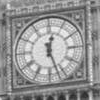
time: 12:26
